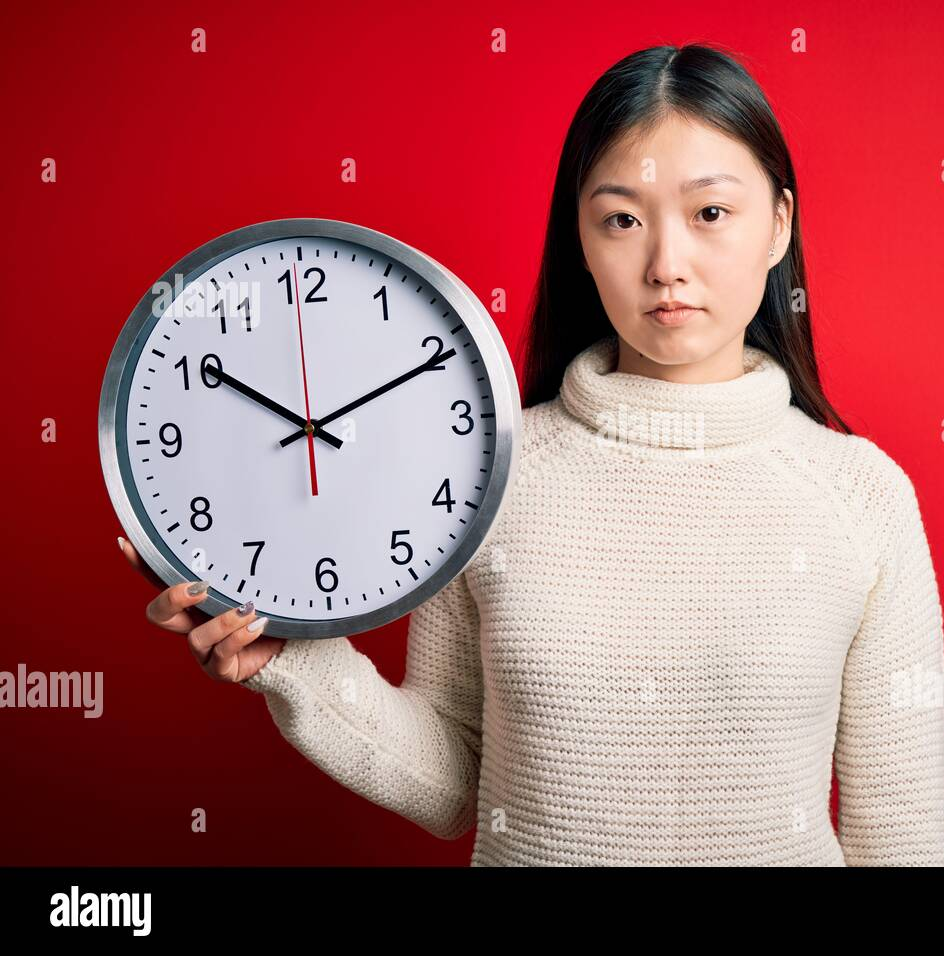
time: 10:10
